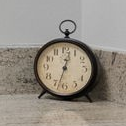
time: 12:32
